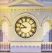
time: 8:50
